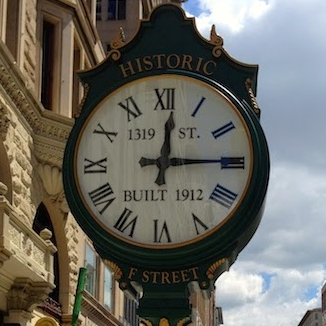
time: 12:14
